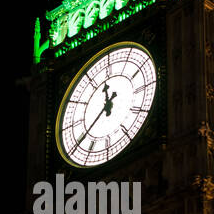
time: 11:39
